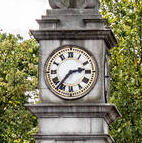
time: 2:36
